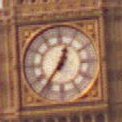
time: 12:36
